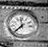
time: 11:37
